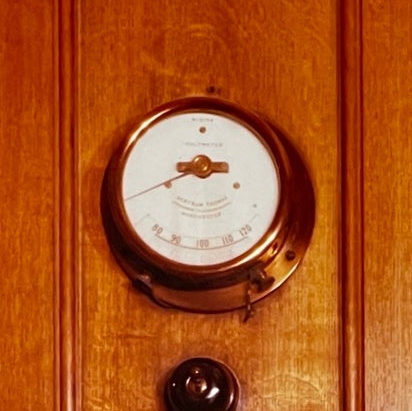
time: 9:42
